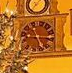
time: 5:15
